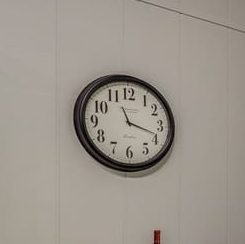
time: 11:18
